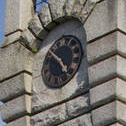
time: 4:50
